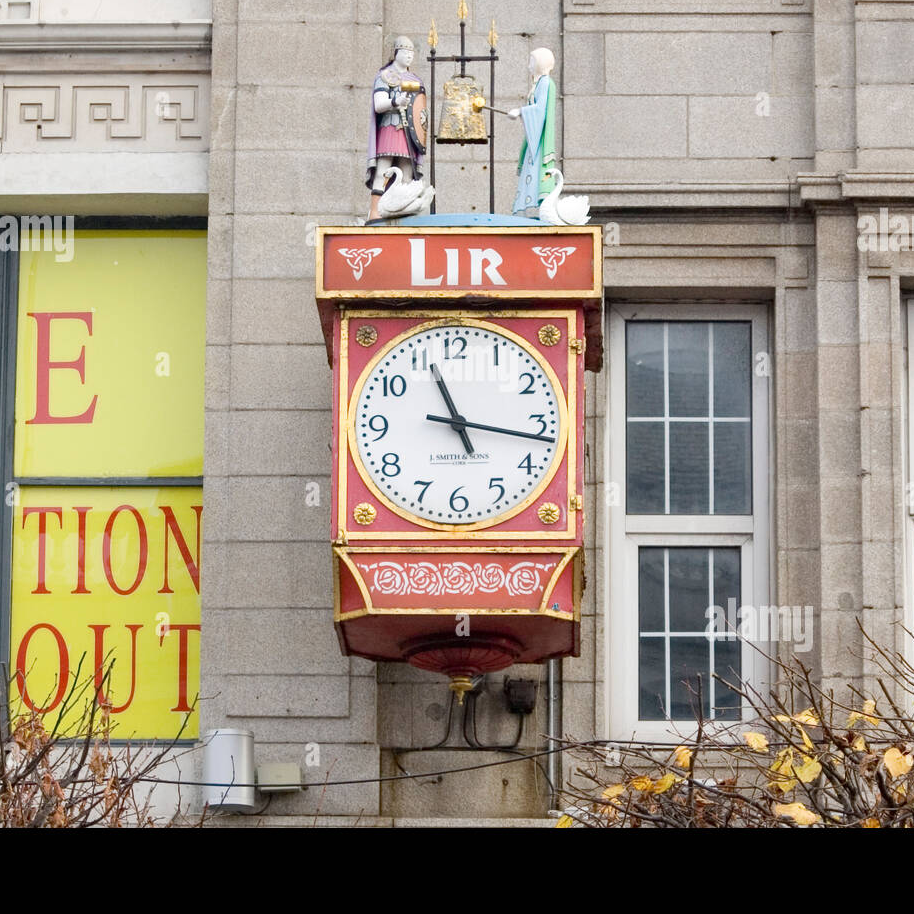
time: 11:16
